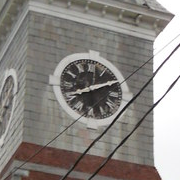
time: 8:10
